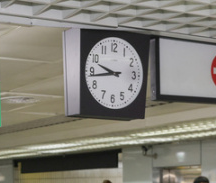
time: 9:43
